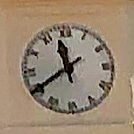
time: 11:39
